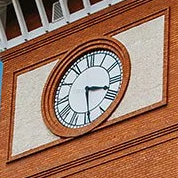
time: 3:29
